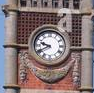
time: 9:40
